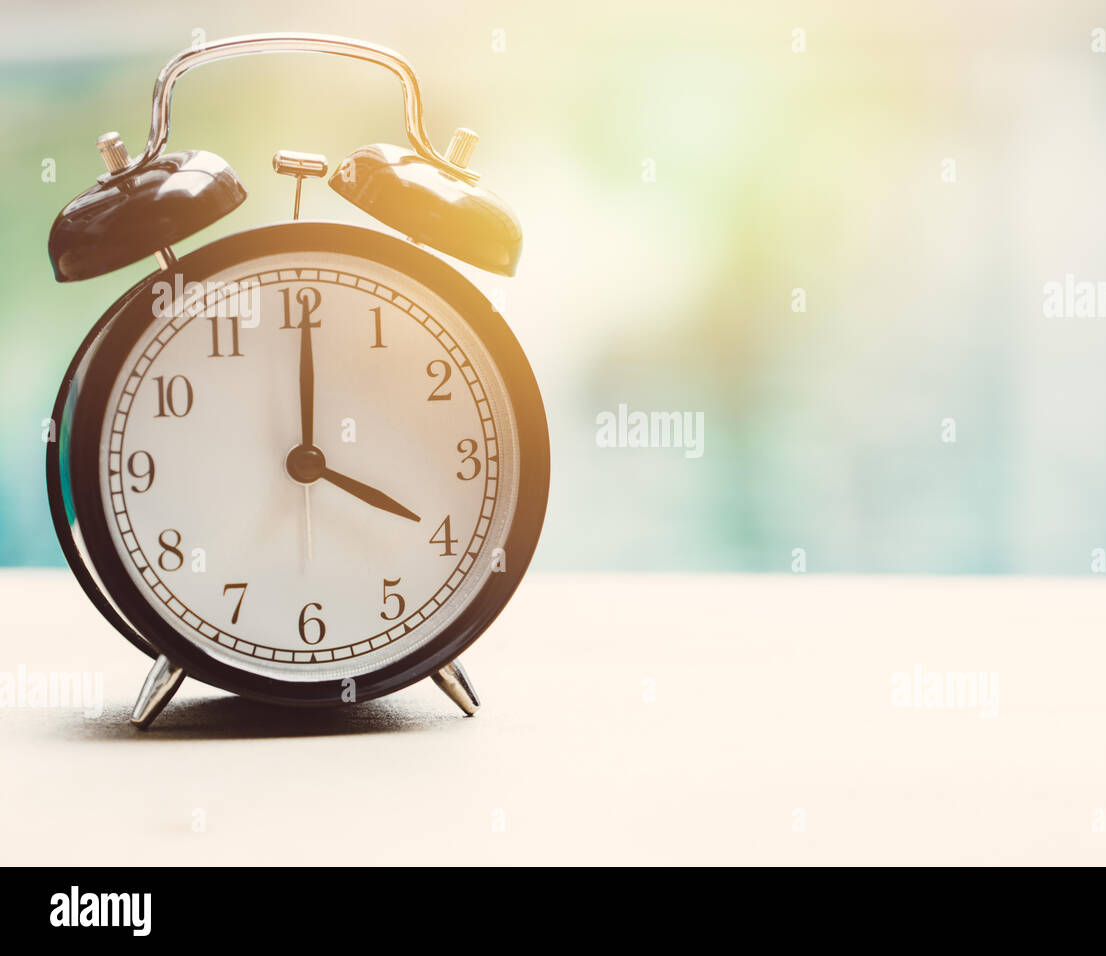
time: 4:00
